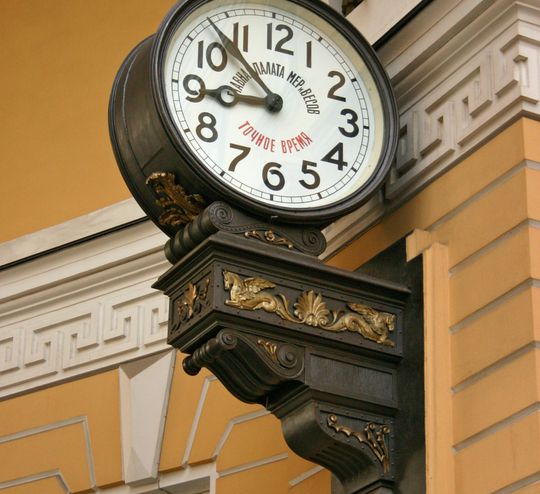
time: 8:52
